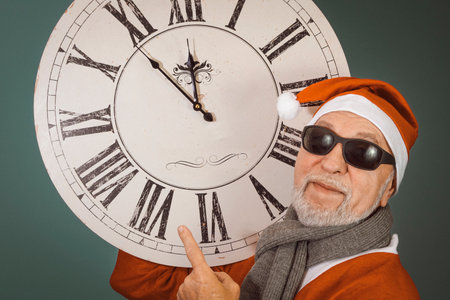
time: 11:53
